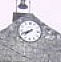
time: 7:41
